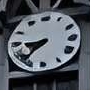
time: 8:37
